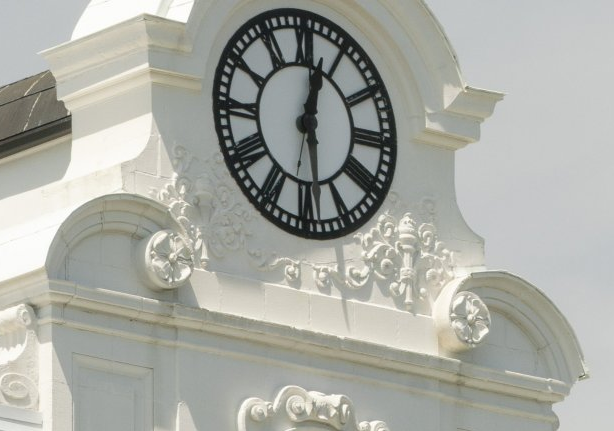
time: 12:28
